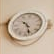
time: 4:26
